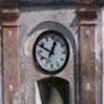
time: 12:48
